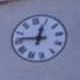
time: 12:46
